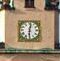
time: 12:30
